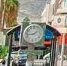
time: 1:43
